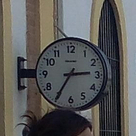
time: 2:35
